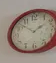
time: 1:51
